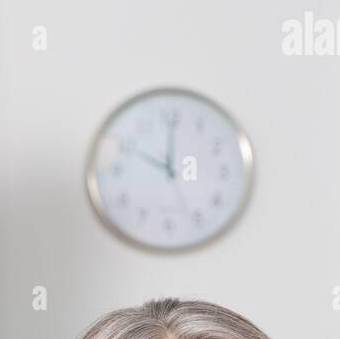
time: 10:00
